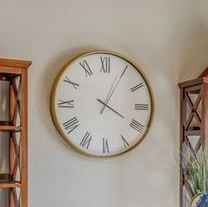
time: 4:04
